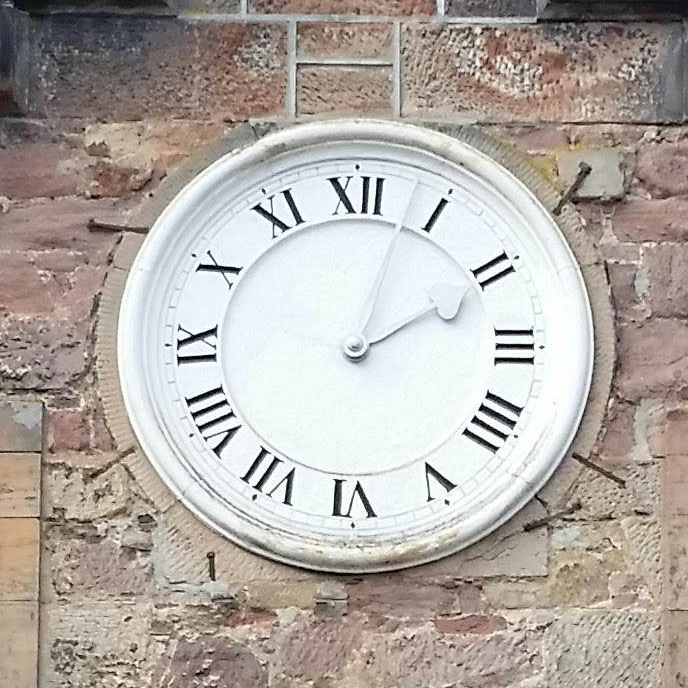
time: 2:03
